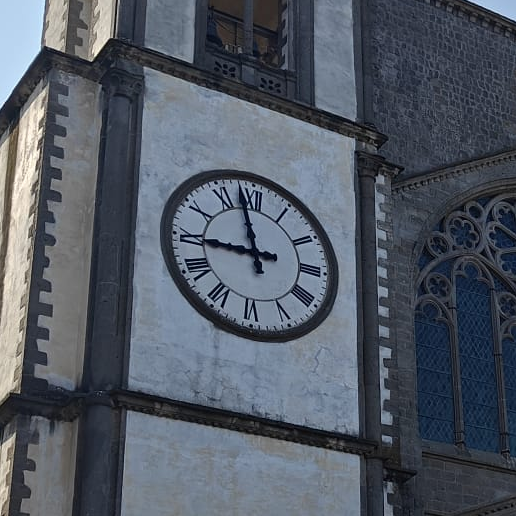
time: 8:57
